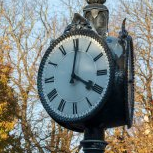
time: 4:01
